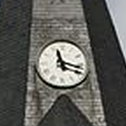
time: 11:17
